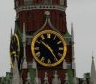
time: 10:24
